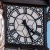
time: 4:26
